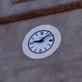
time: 9:08
